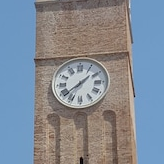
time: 1:39
